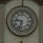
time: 9:33
